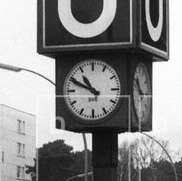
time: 10:49
